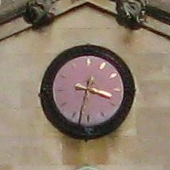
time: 3:32
